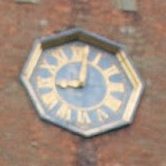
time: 9:01
